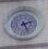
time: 2:26
